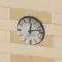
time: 12:12
